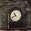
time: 10:41
